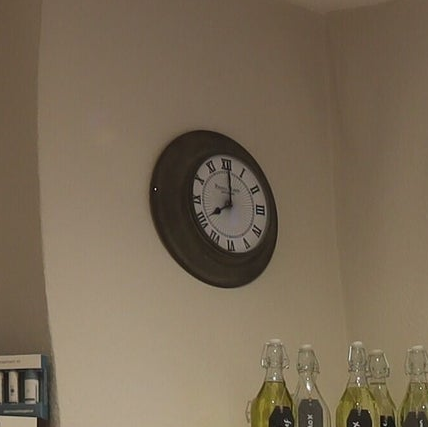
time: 8:00
